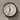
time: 11:32
